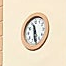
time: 11:28
